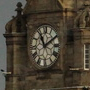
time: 11:09
